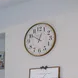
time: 12:50
